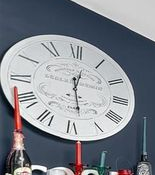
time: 12:28
